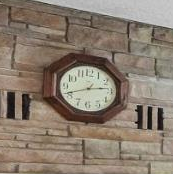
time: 2:41
